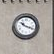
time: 10:18
